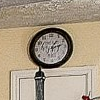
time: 1:12
